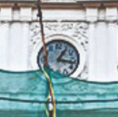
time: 1:16
